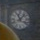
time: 11:07
